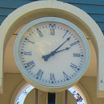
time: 2:07
